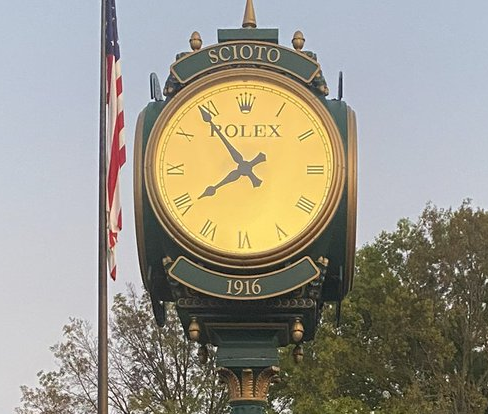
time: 7:53
